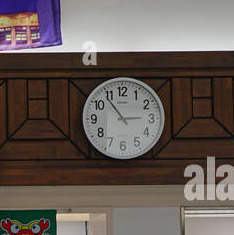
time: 2:53
